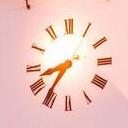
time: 8:36
